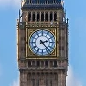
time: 2:23
